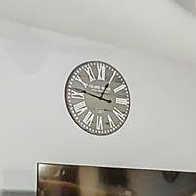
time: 12:46
